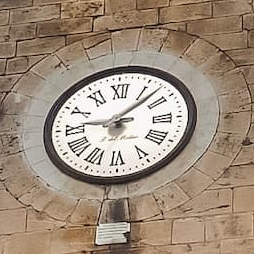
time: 9:07
